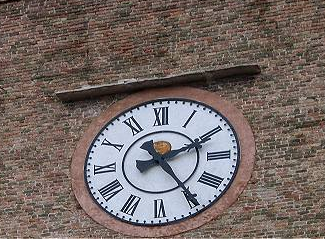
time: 2:24
